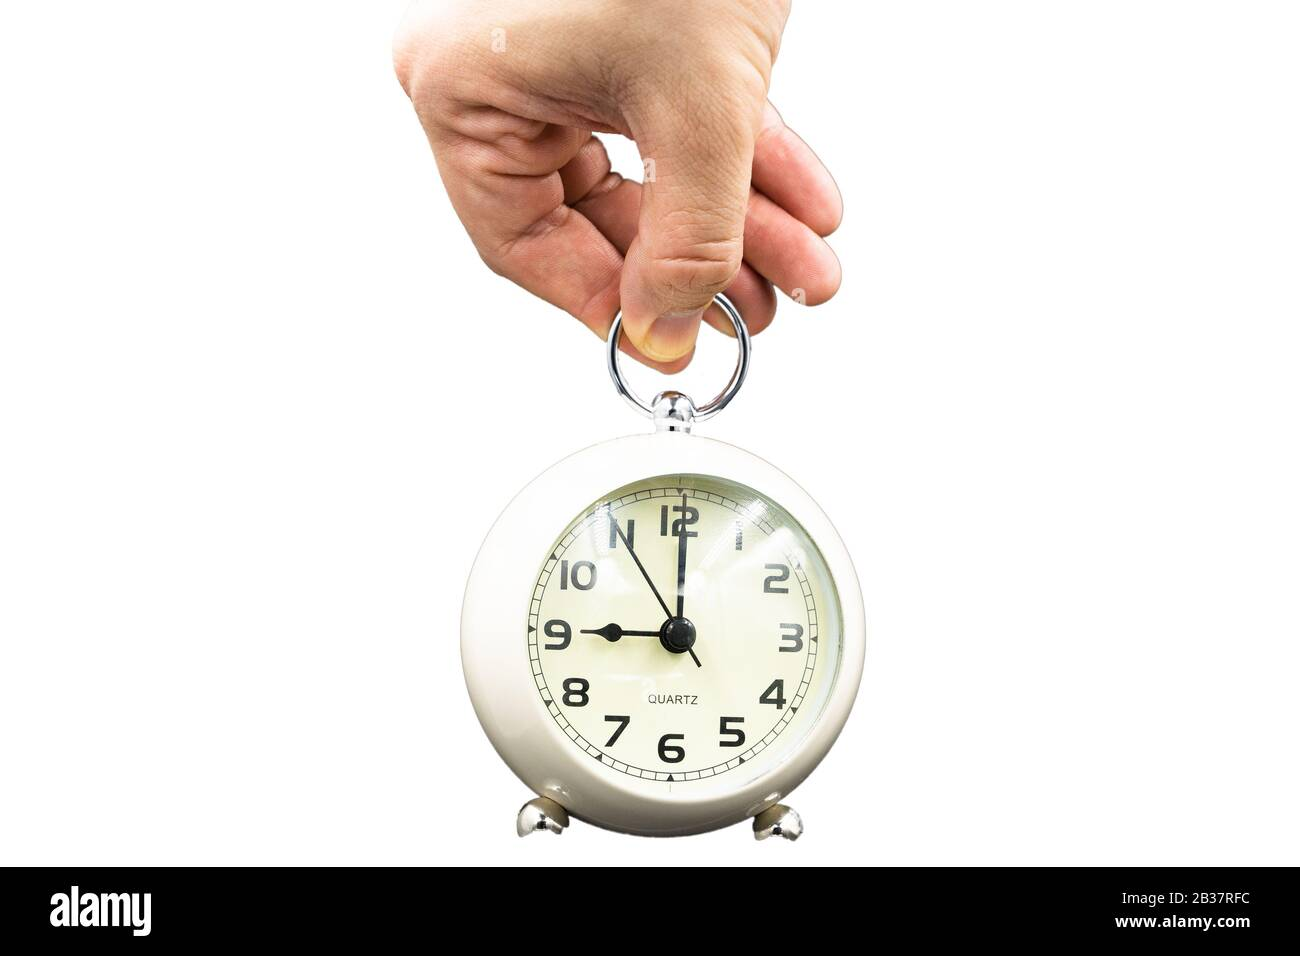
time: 9:00
